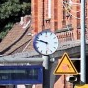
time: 9:47
